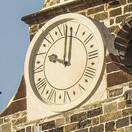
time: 10:00
